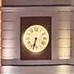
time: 6:32
